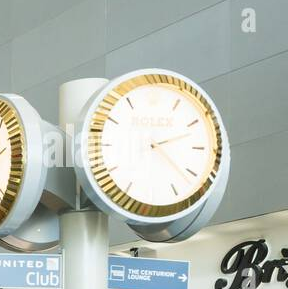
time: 2:21
